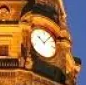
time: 10:07
